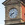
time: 8:38
